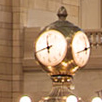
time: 11:42
